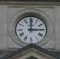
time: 3:00
